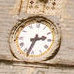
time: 2:33
